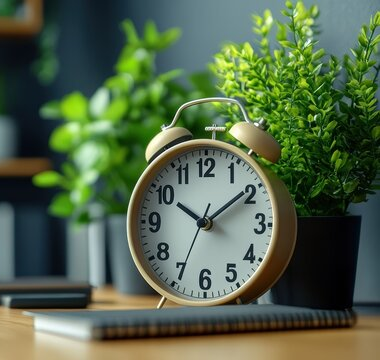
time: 10:09
